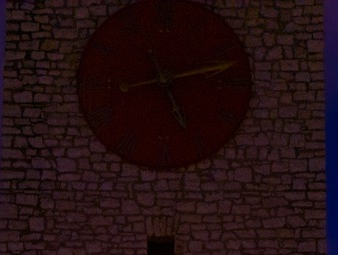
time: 5:12
